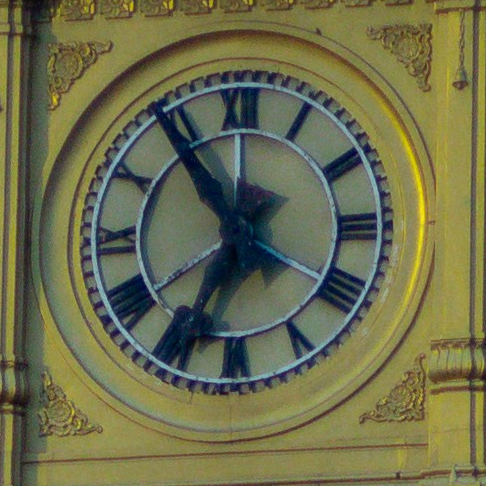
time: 6:54
